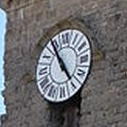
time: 4:54
